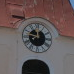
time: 11:46
